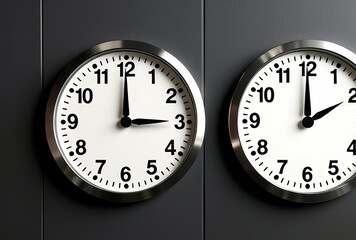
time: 2:59
